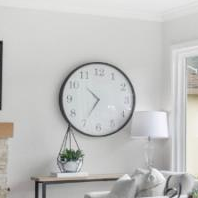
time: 10:35
